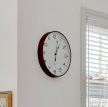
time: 1:02
